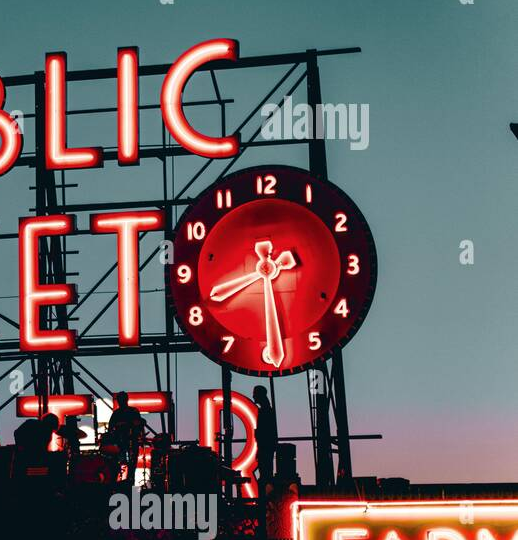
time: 8:29
